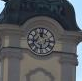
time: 12:14
